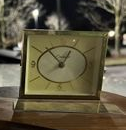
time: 12:53
